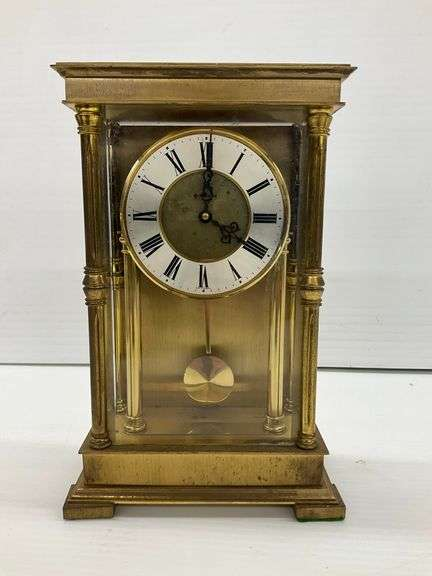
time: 4:00
